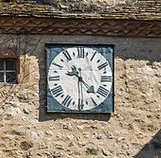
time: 9:22
